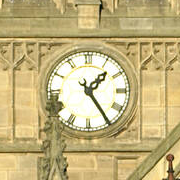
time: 1:24
